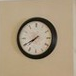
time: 7:40
